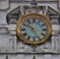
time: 10:25
